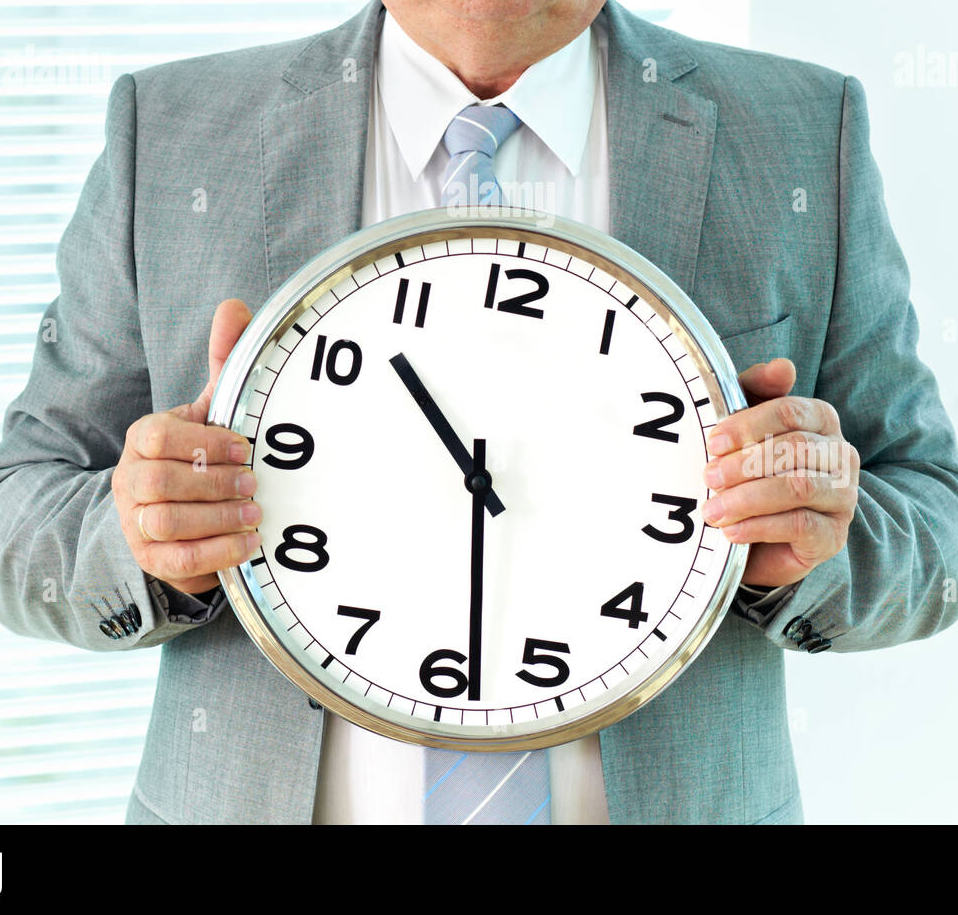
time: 10:28
